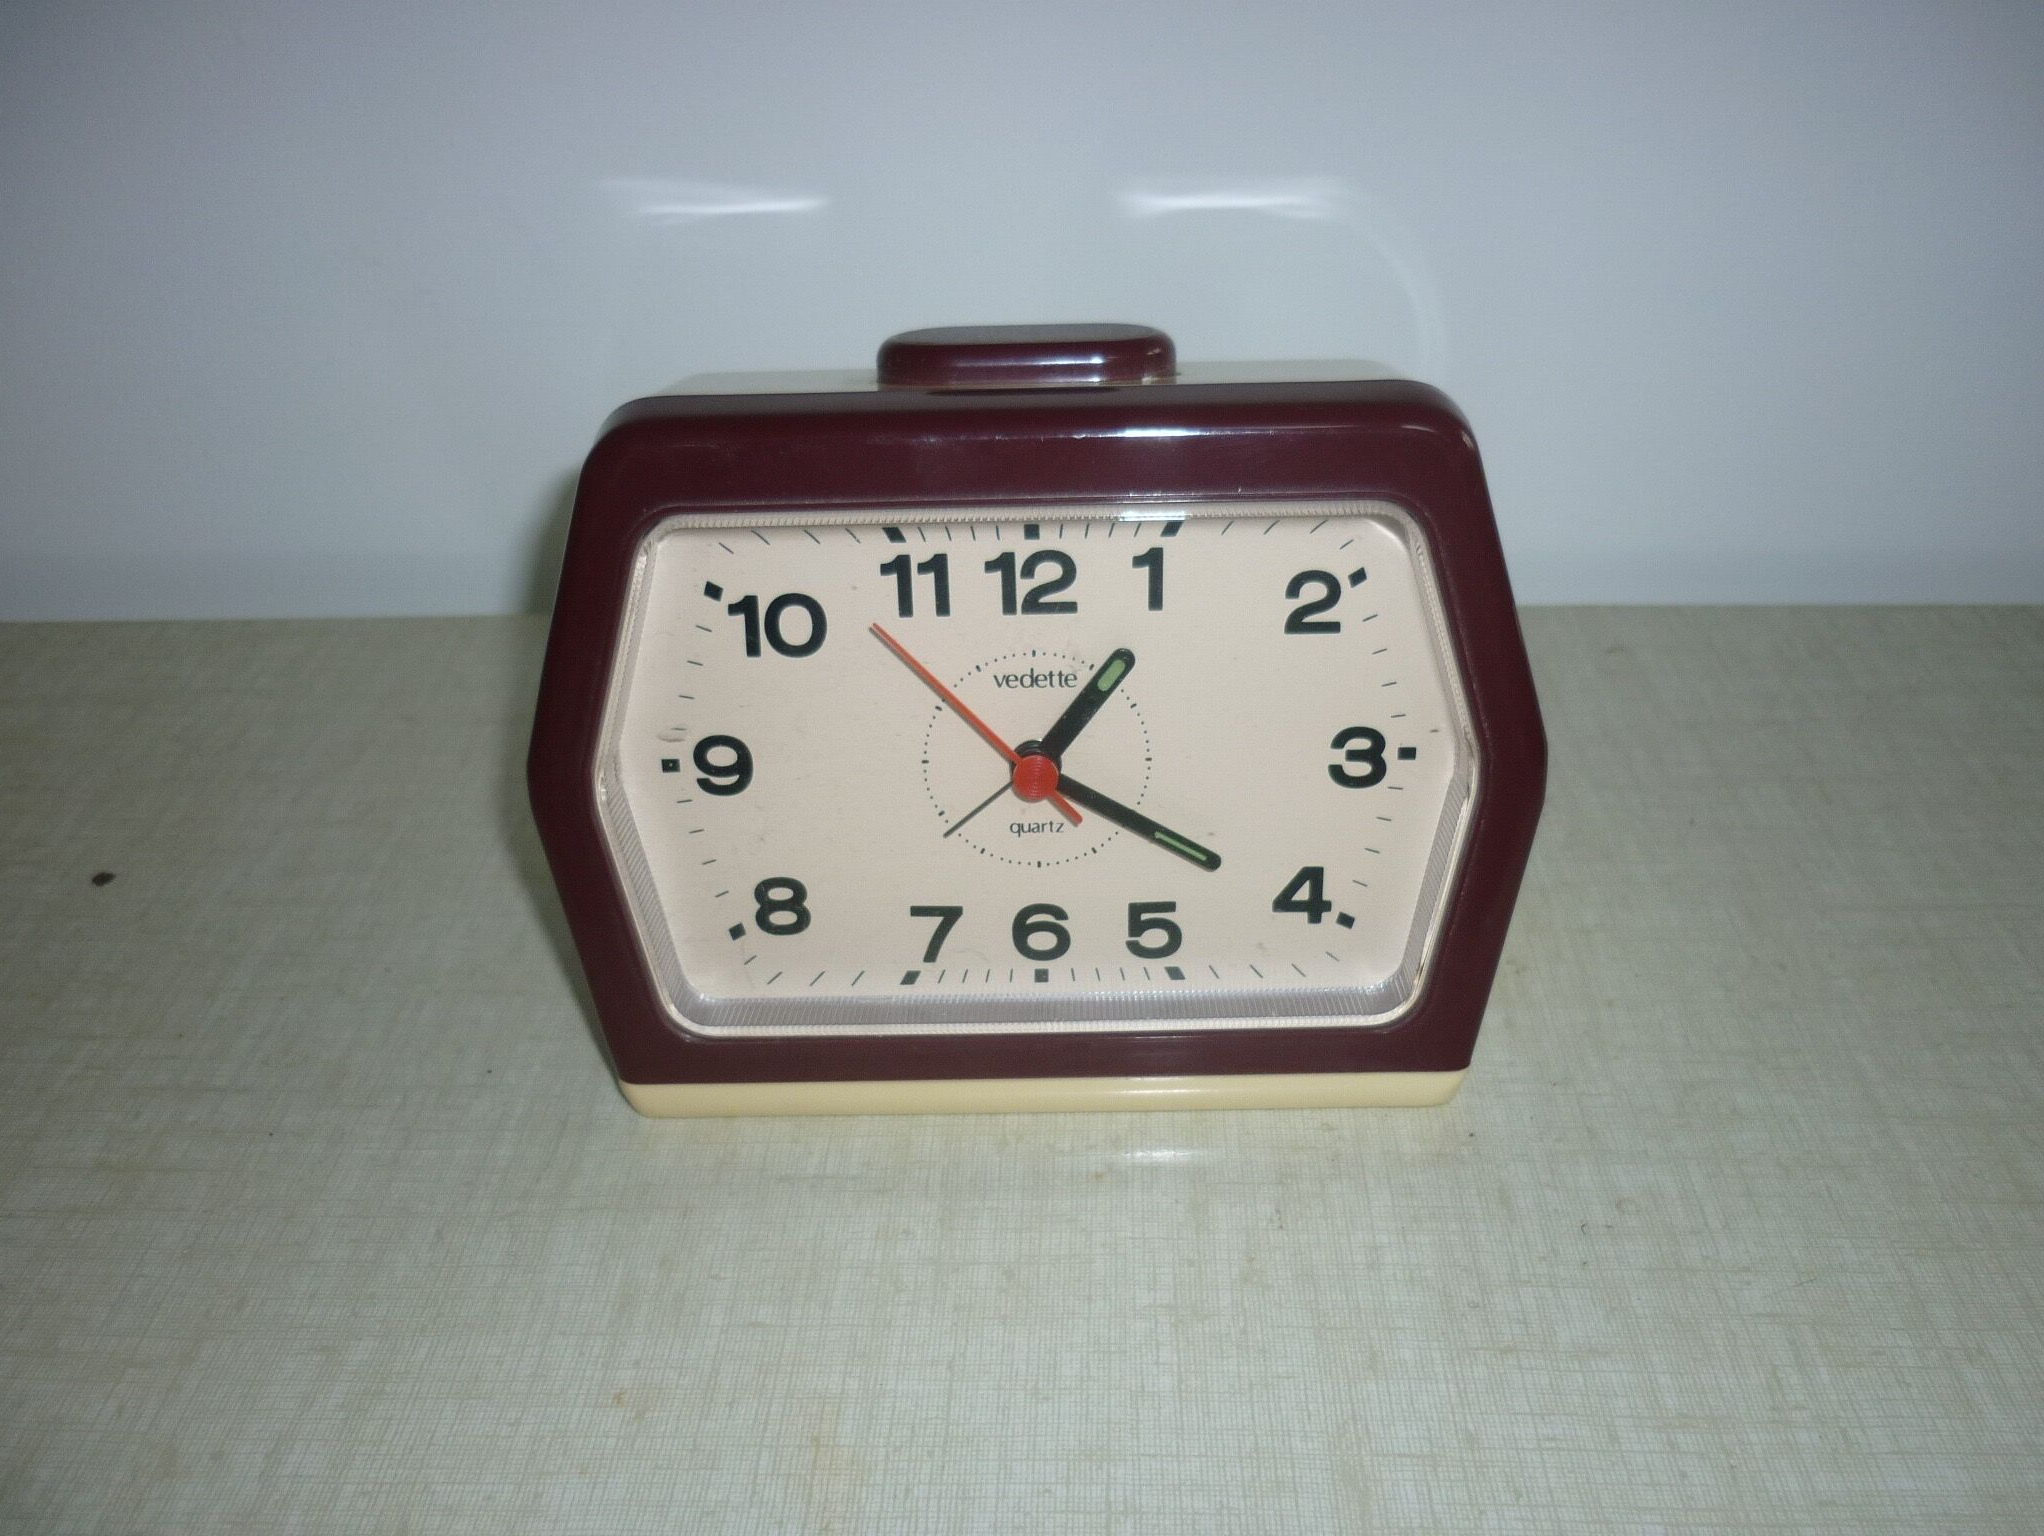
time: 1:20
